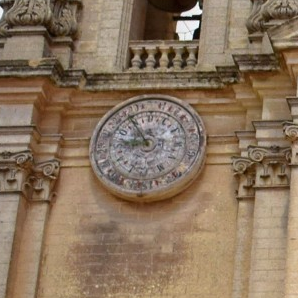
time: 8:54
